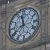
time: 11:40
